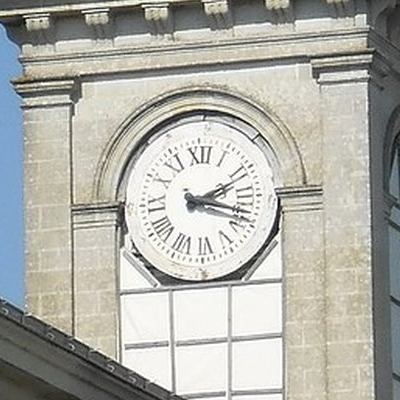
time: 2:18
